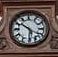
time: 5:51
